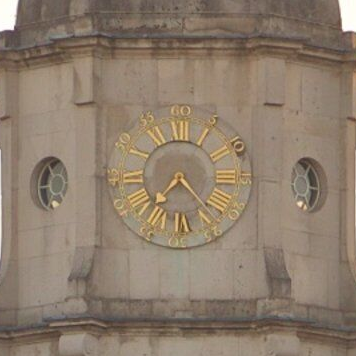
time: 7:22
